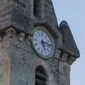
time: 5:15
